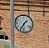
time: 1:35
